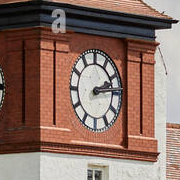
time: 2:13
